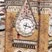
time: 3:32
